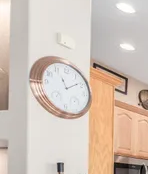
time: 11:09
